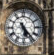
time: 5:23
